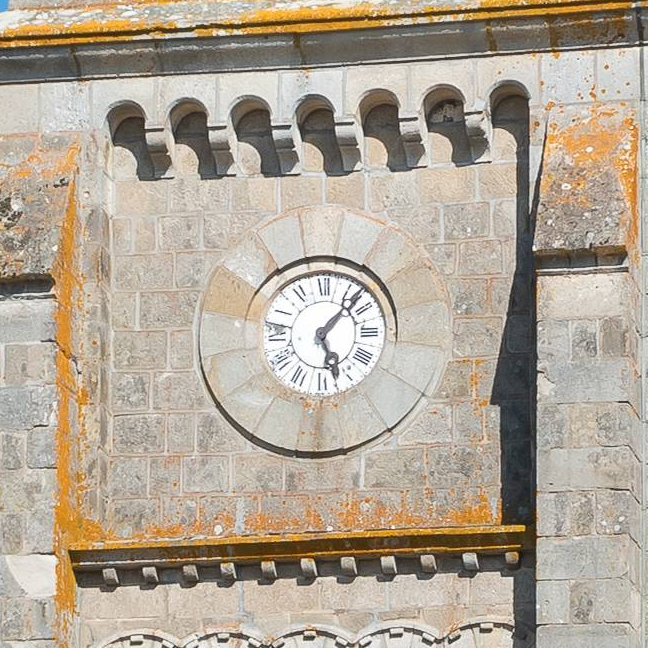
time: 5:07
